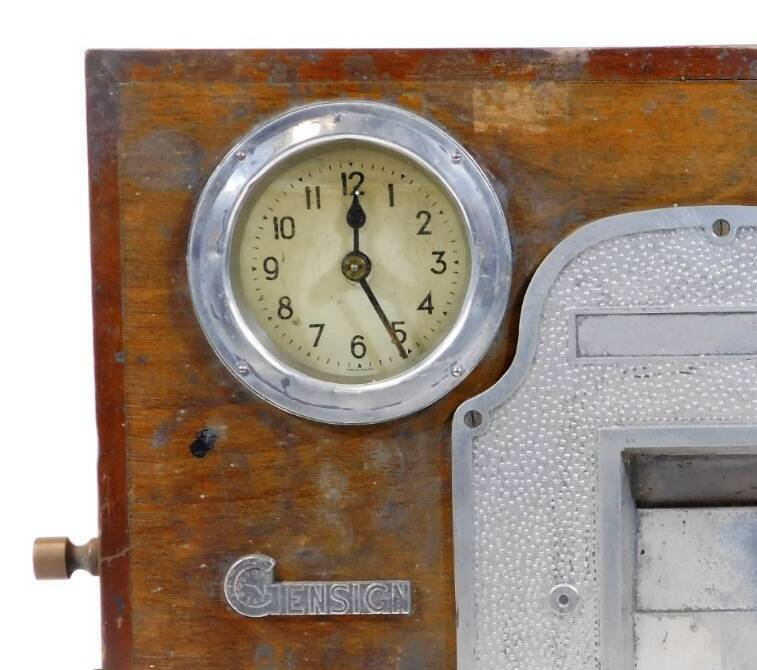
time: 12:25
